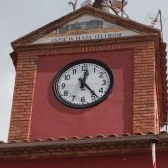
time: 12:23
